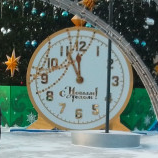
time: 11:55
